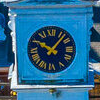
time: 10:07
